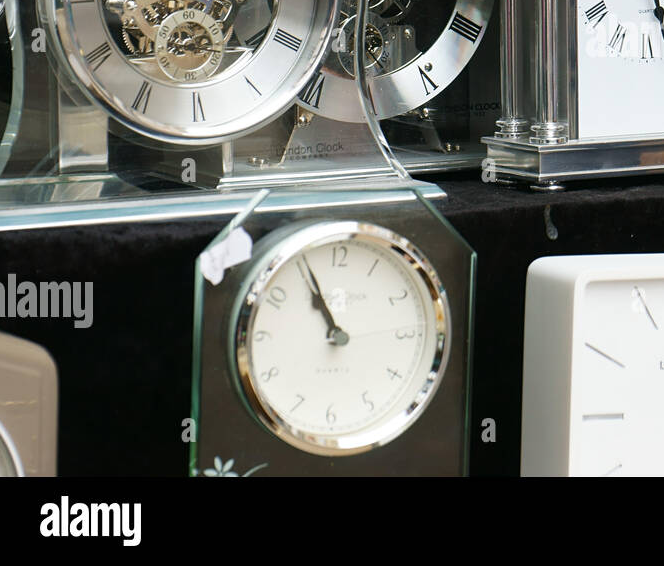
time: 10:55
